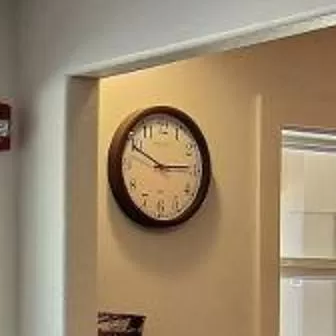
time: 2:49
